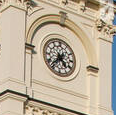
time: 4:37
